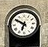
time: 6:50
